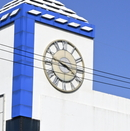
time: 3:47
